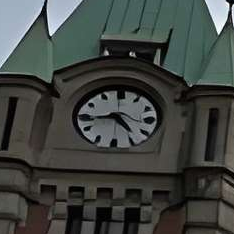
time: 4:43
